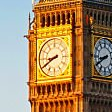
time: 8:40
